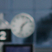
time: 1:32
